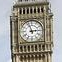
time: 2:57
